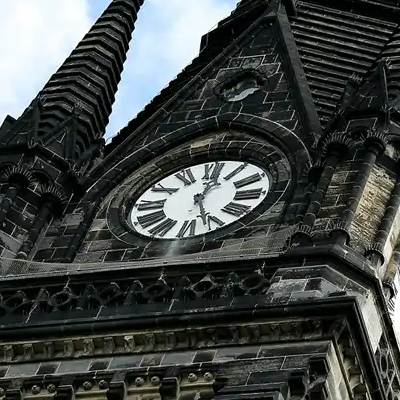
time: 12:26
